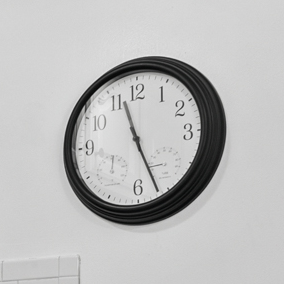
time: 11:26
